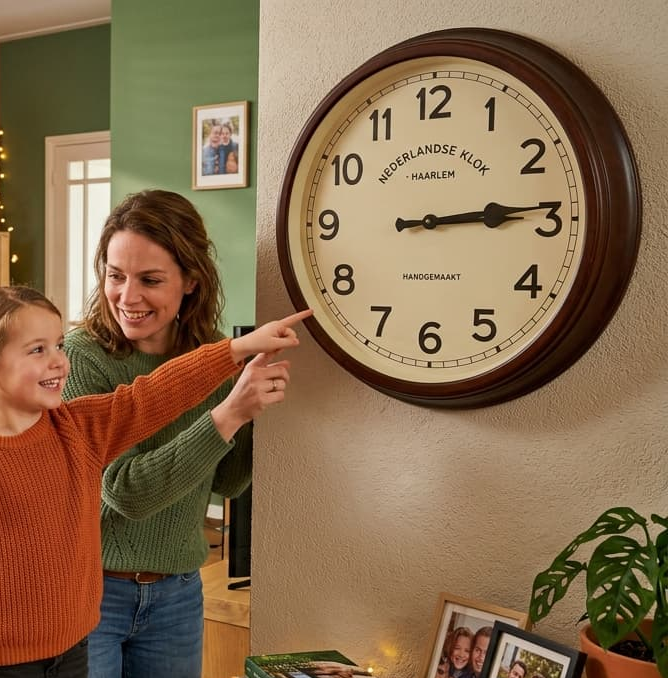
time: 3:14
